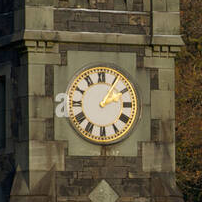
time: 2:05
